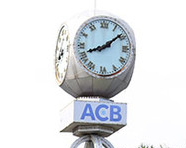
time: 8:08
